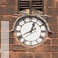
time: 12:40
